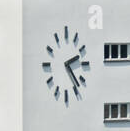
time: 2:23
